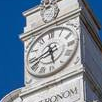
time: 5:42
